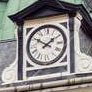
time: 1:50
